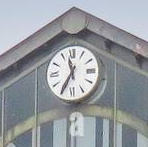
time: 11:34
